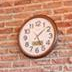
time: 5:08
